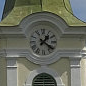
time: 1:21
